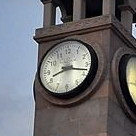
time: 8:17
